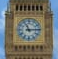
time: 11:14
